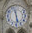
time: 11:28
